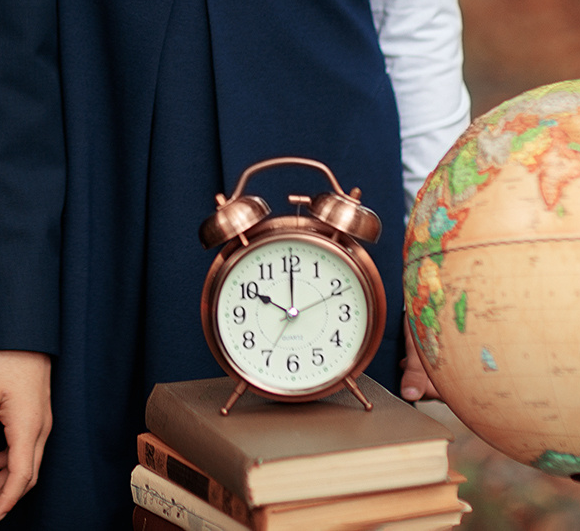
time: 10:00
